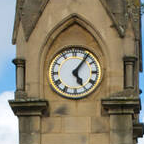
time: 5:06
